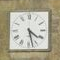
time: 4:28
